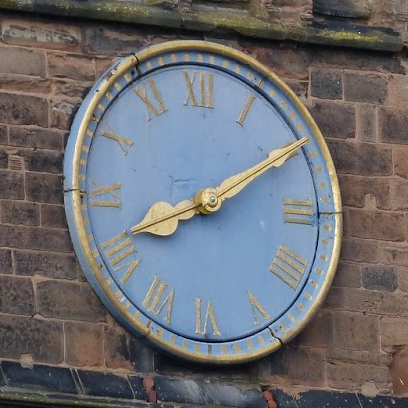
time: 8:09
